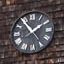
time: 1:54
